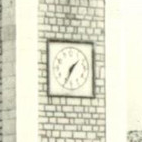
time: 1:34
